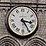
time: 3:24
